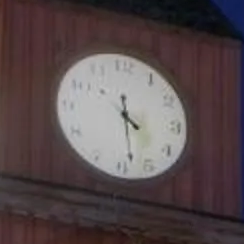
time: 4:28
